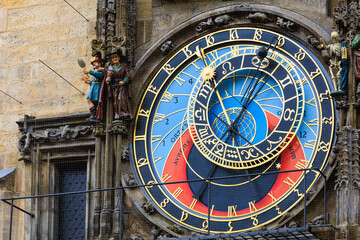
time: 7:04
